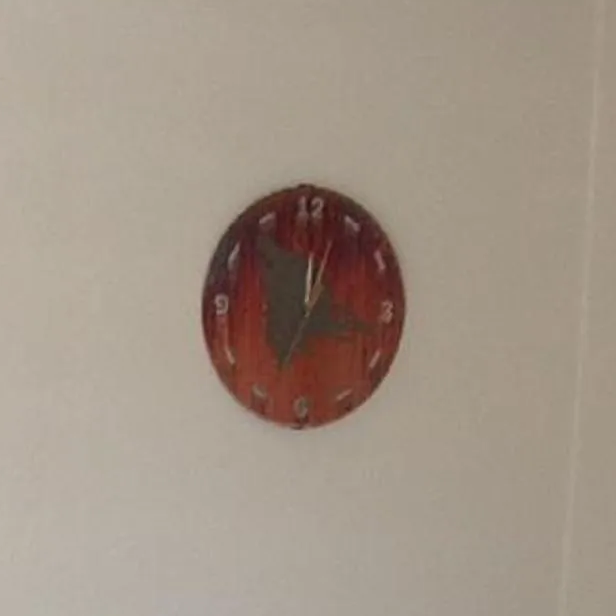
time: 12:16
